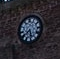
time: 5:40
